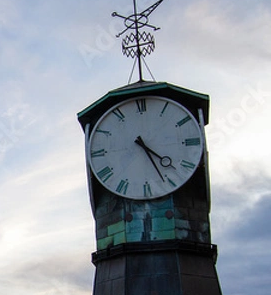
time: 4:26
